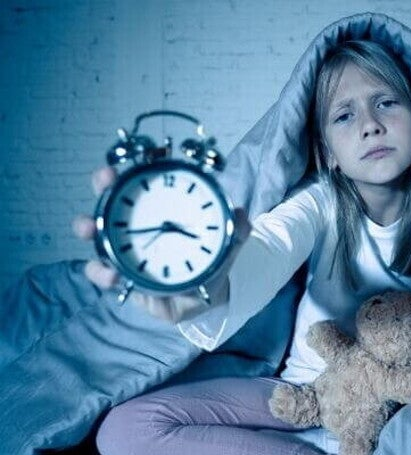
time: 3:43
